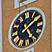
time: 5:09
